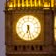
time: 6:27
